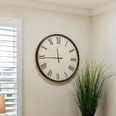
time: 11:44
